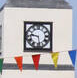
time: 9:28
